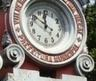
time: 11:50
